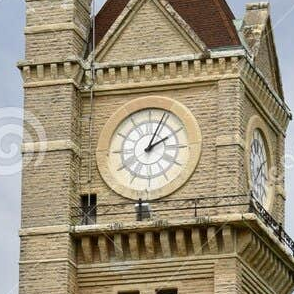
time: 2:04
